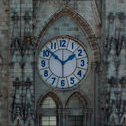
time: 1:51
